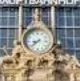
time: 8:38
